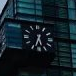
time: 5:33
